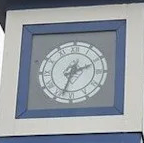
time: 2:33
